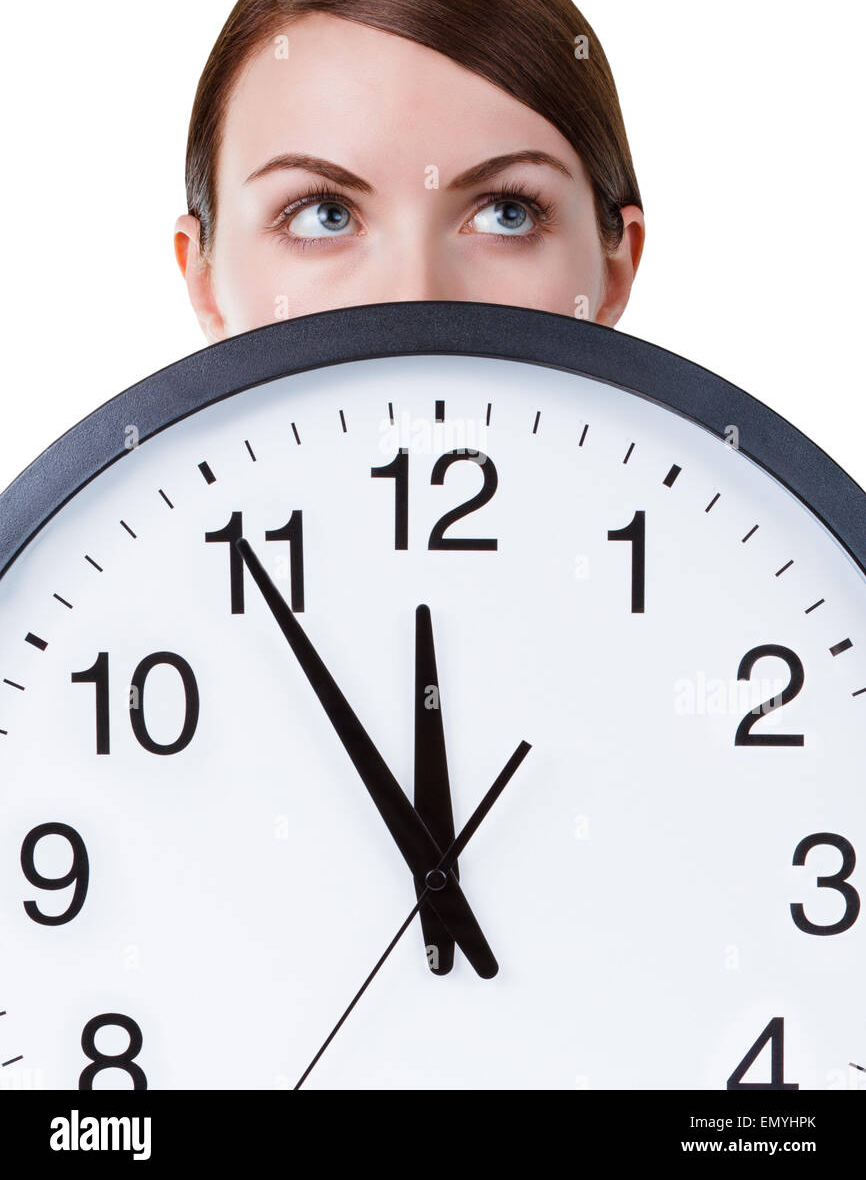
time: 11:54
